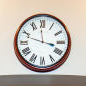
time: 11:47
